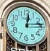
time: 12:13
